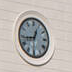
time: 12:43
